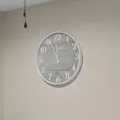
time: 11:56
